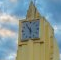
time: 5:54
